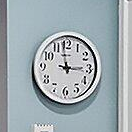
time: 2:58
